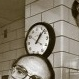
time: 1:07
